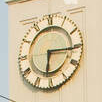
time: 6:15
